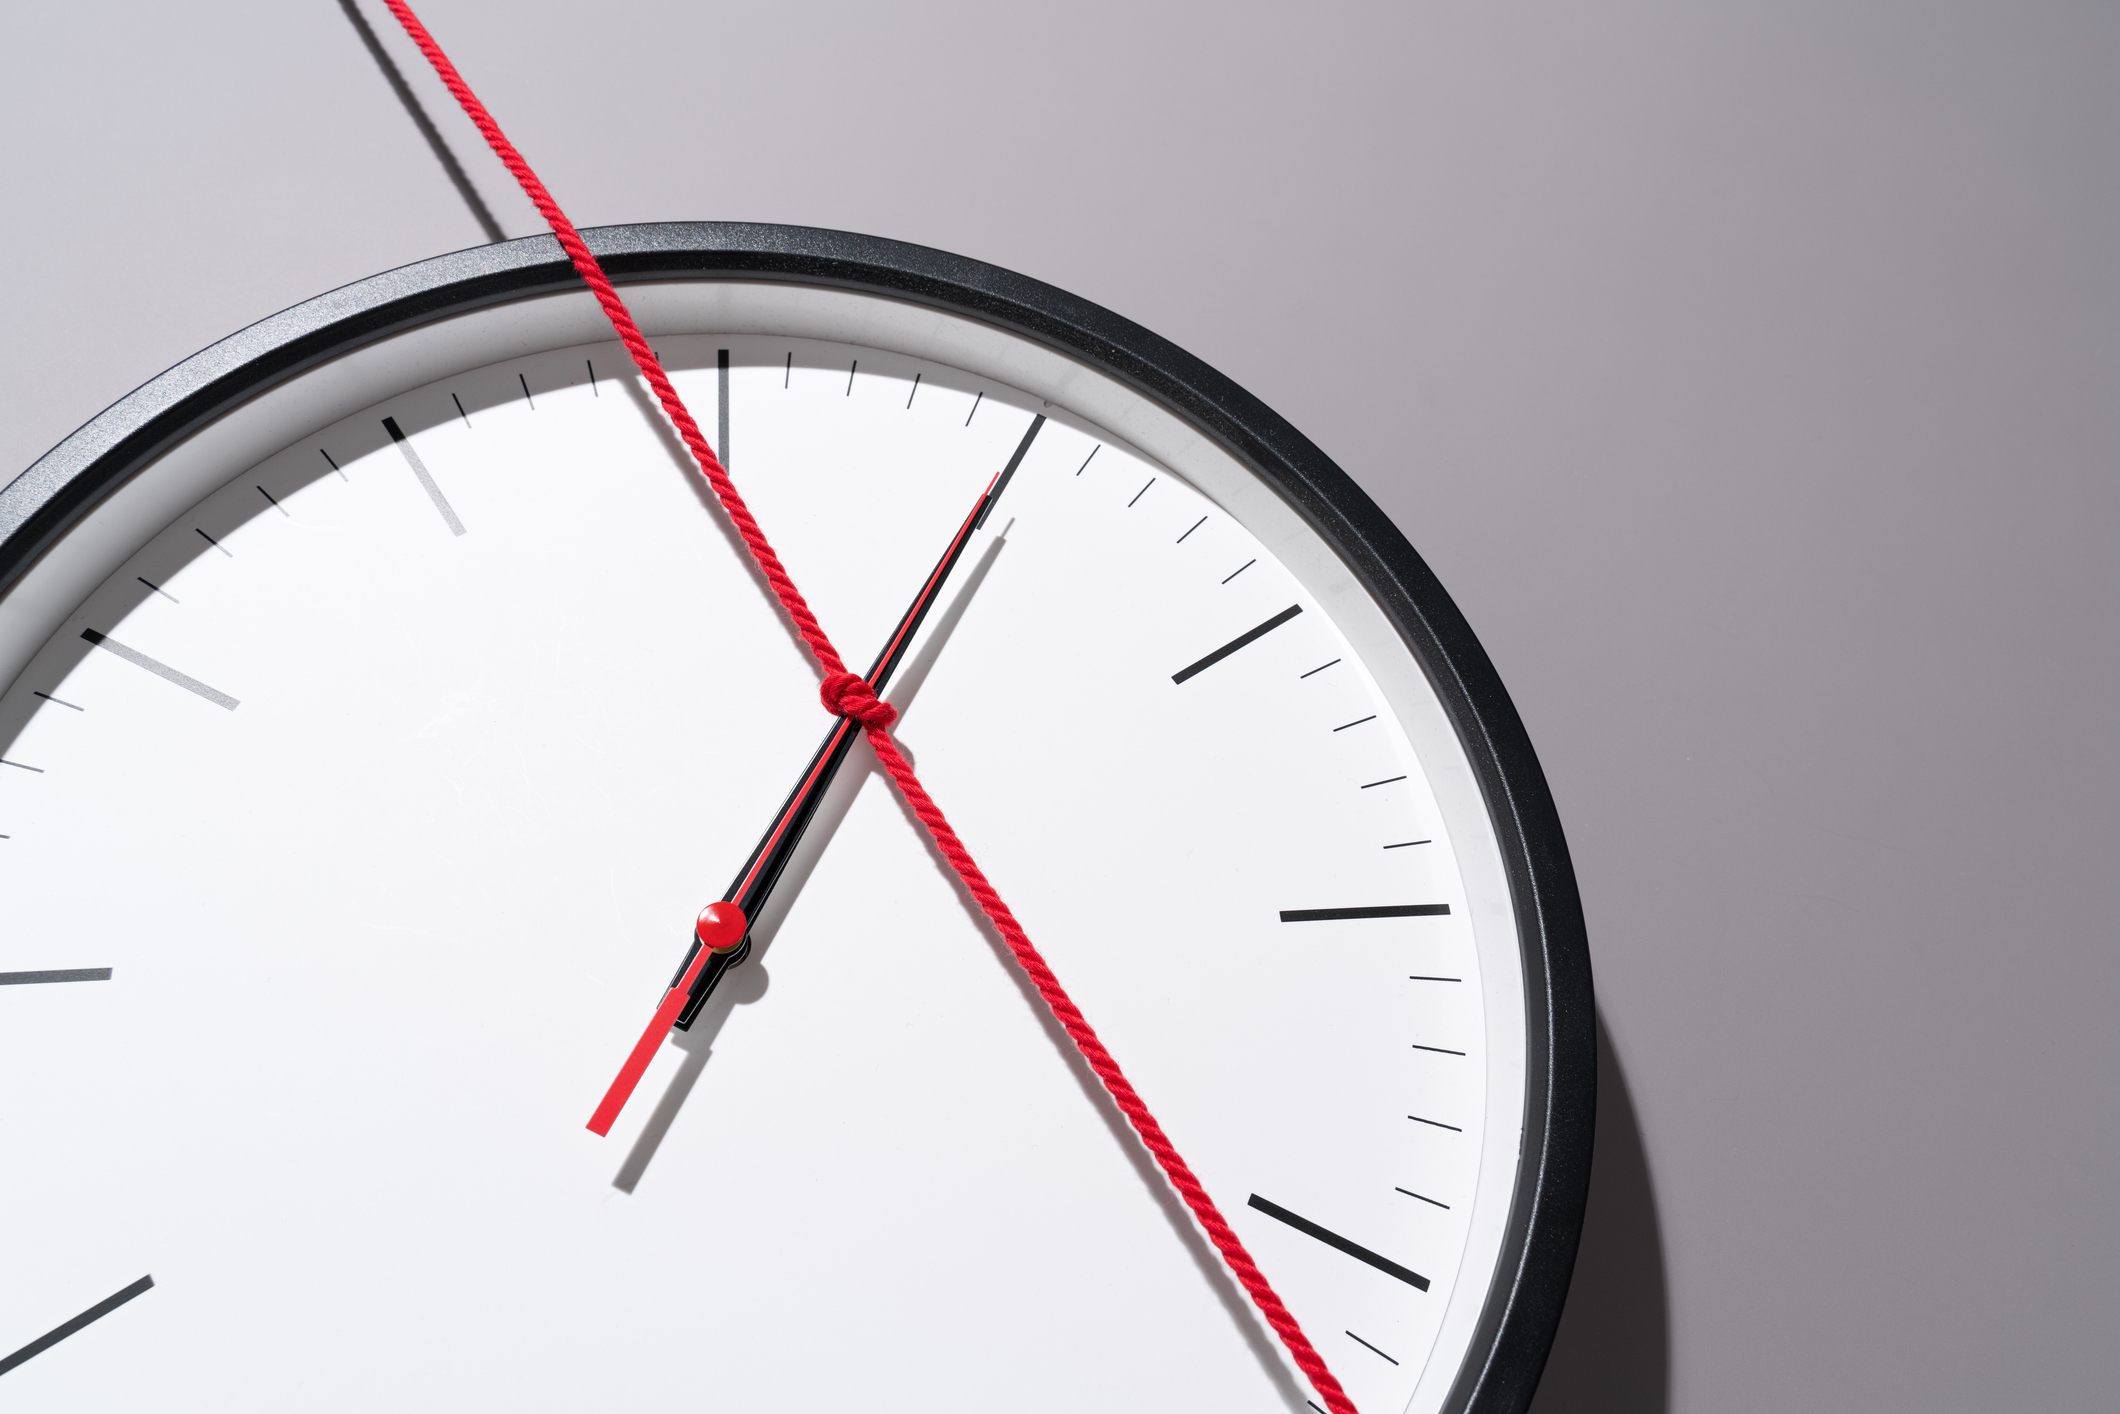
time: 1:05
